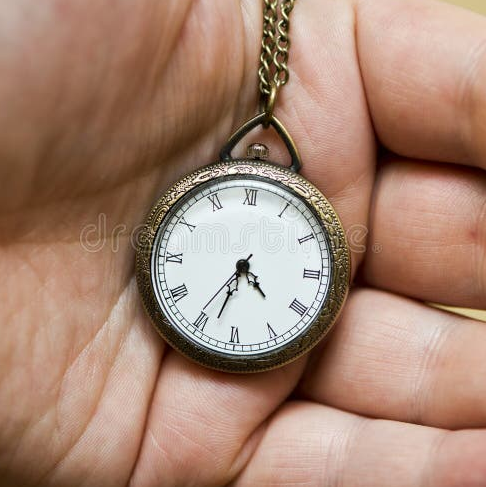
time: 4:33
